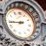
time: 8:43
